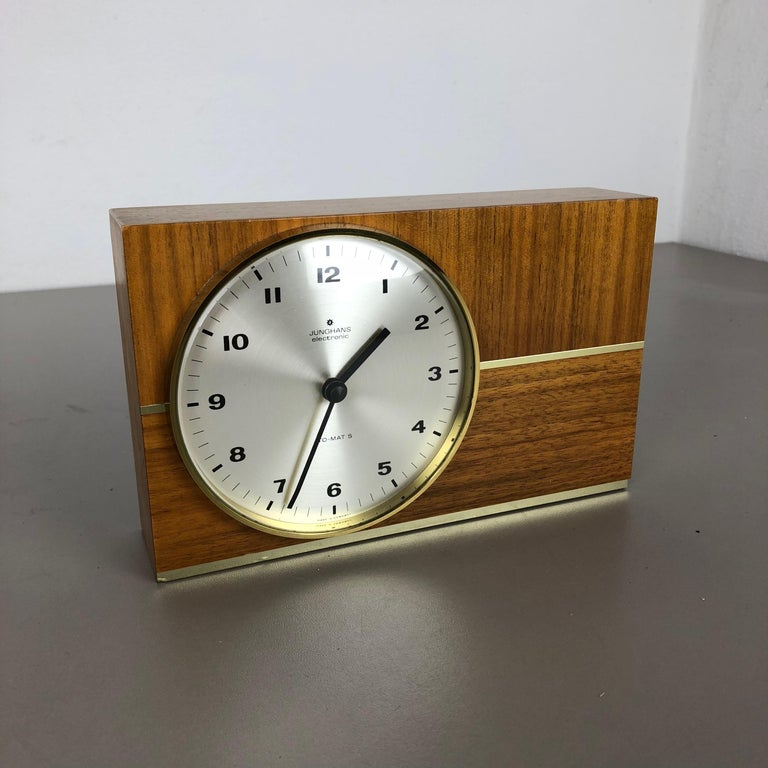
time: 1:33
